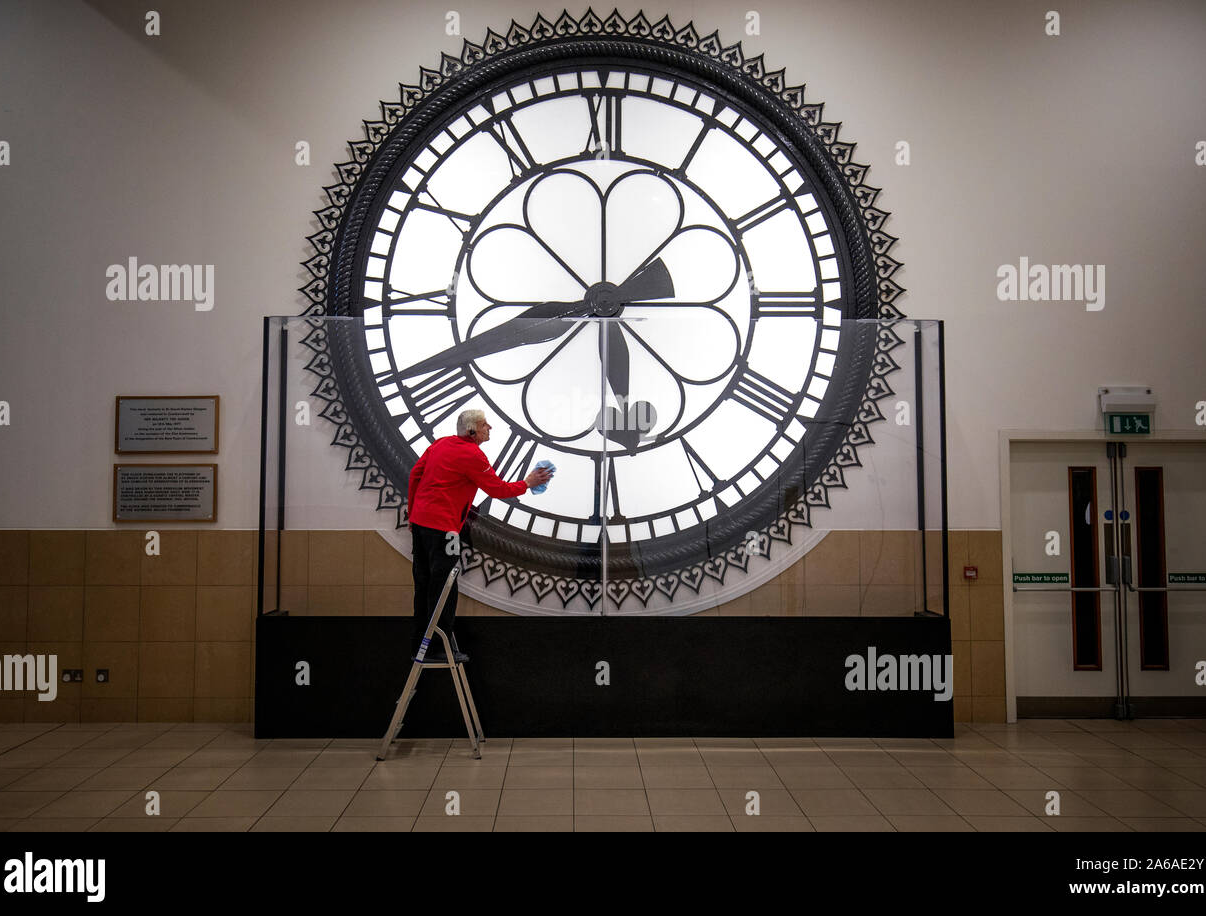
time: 5:41
